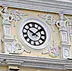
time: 1:50
